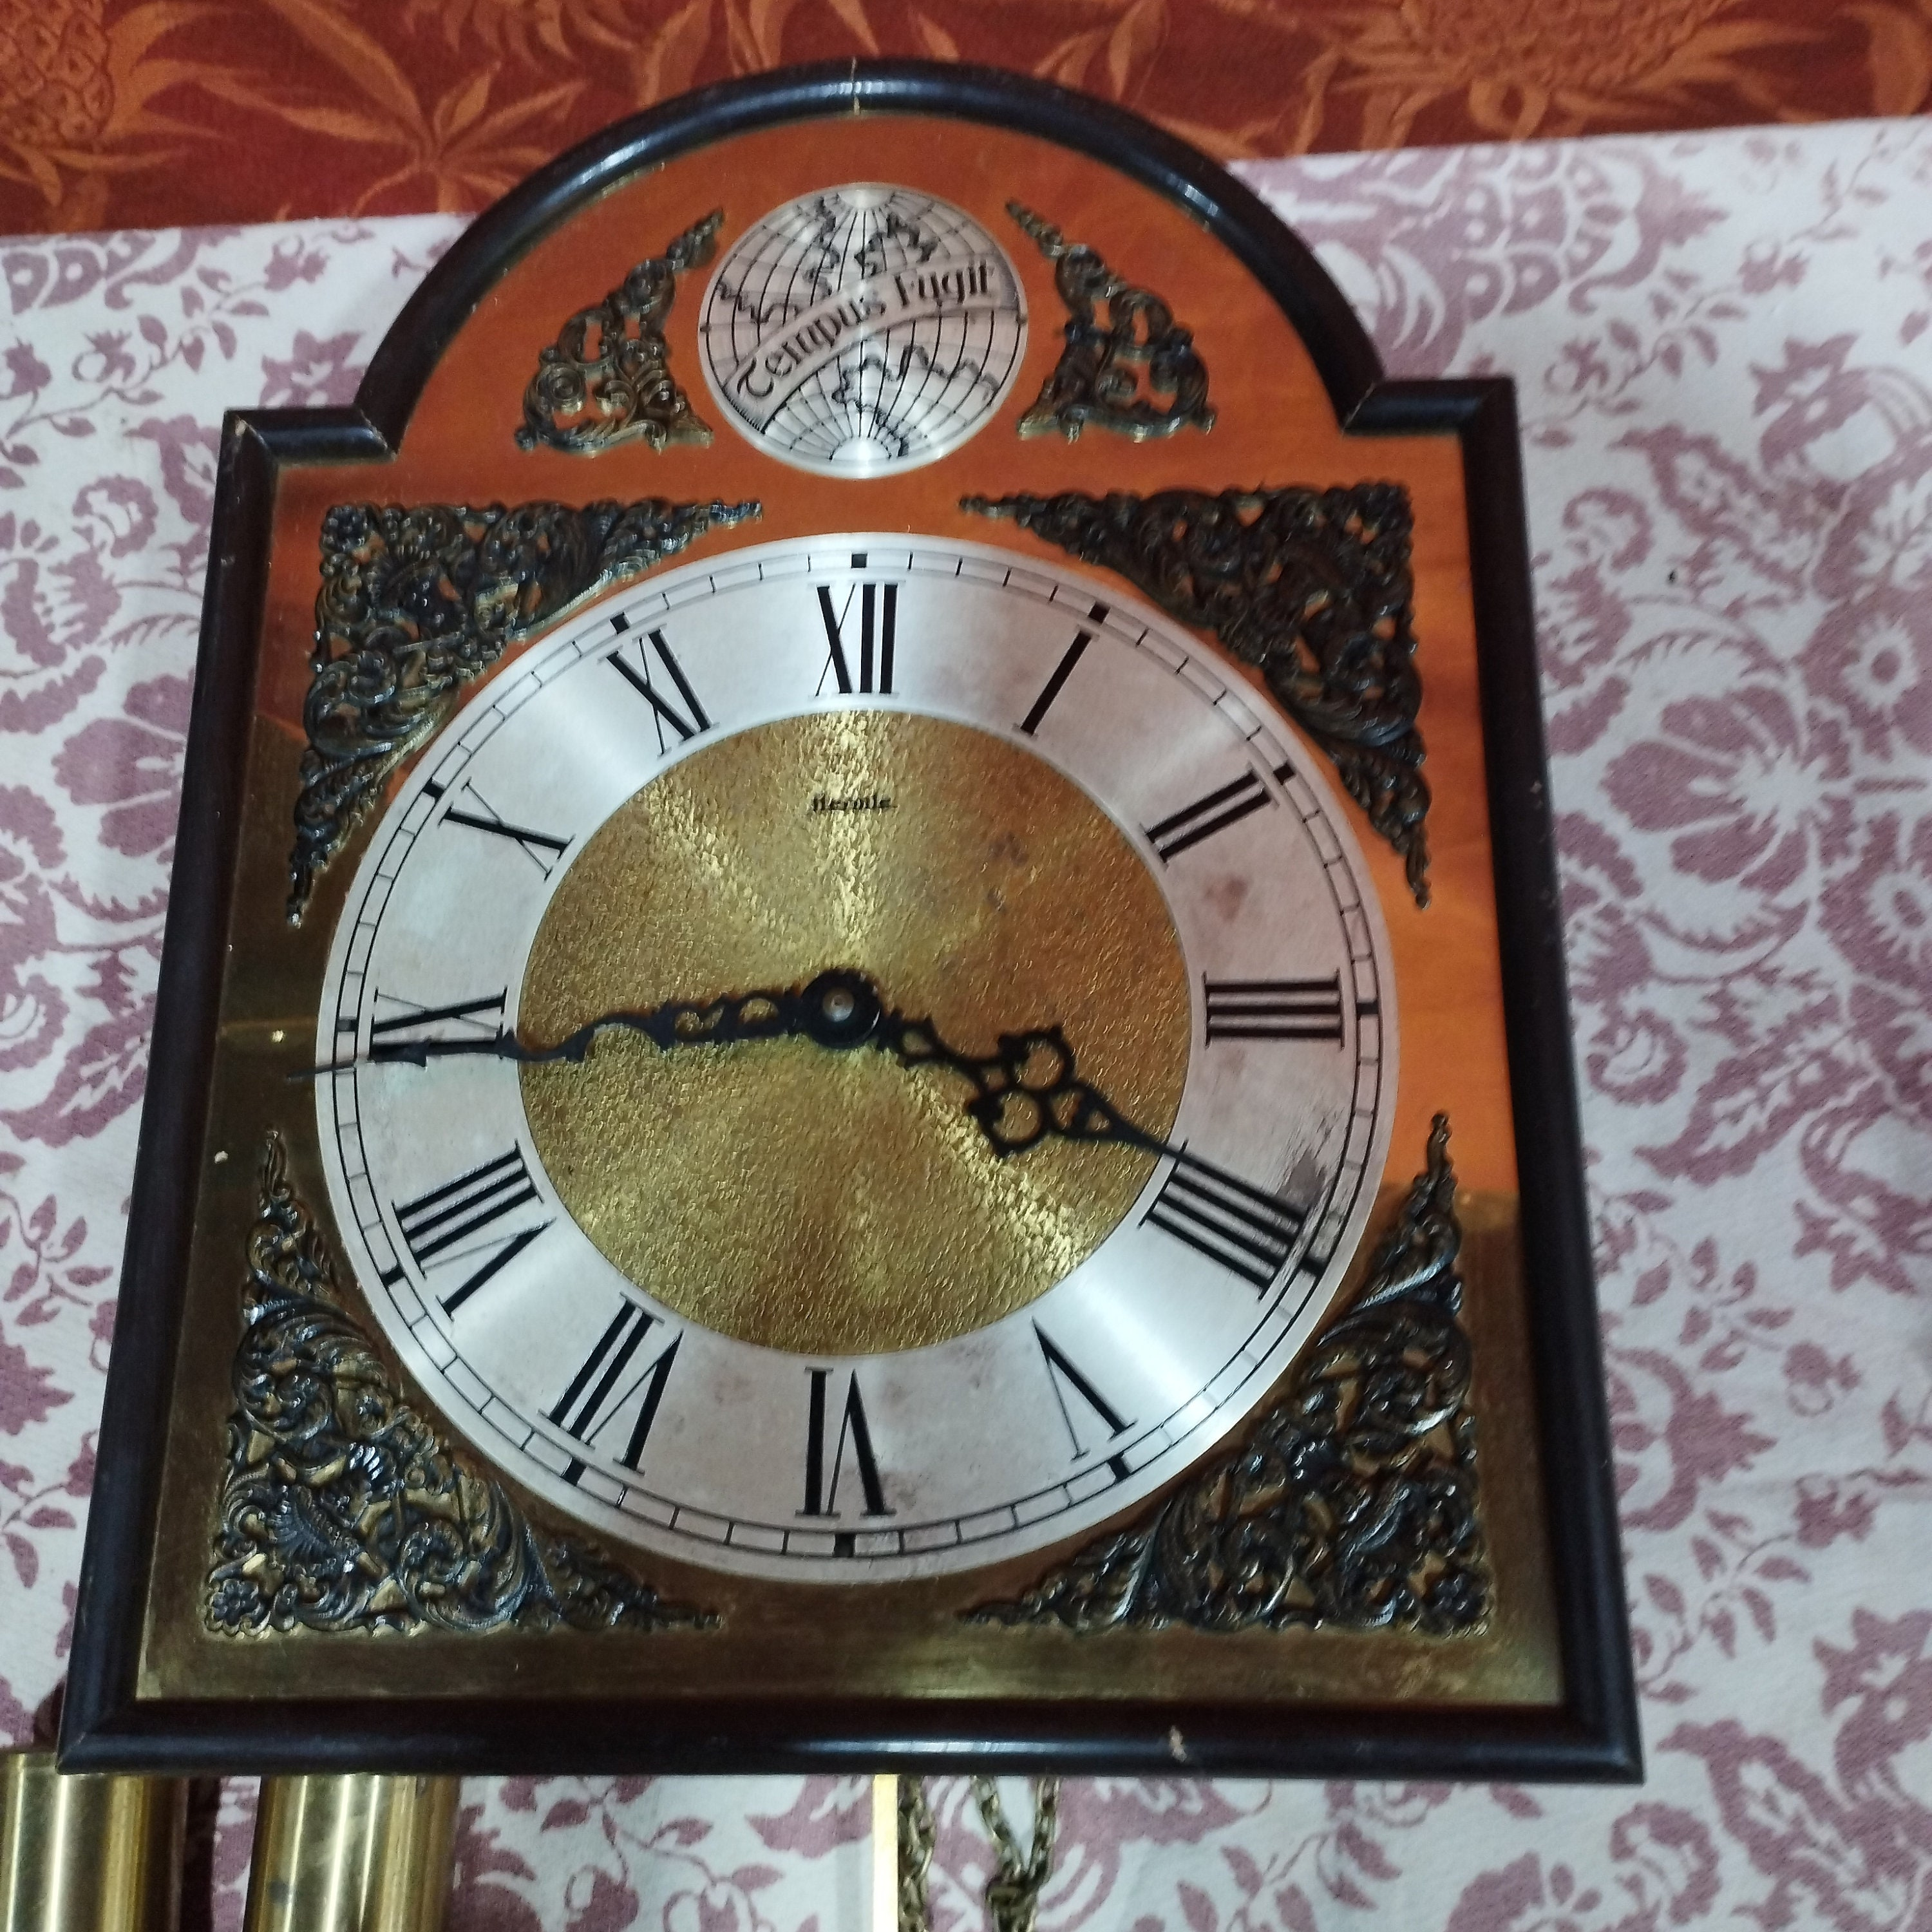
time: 3:44
